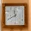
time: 11:40
